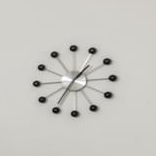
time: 1:35
